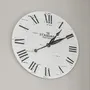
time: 1:09
